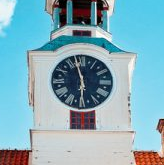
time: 5:57
